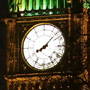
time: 8:07
